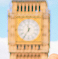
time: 11:35
